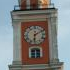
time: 6:10
